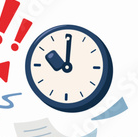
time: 10:00
